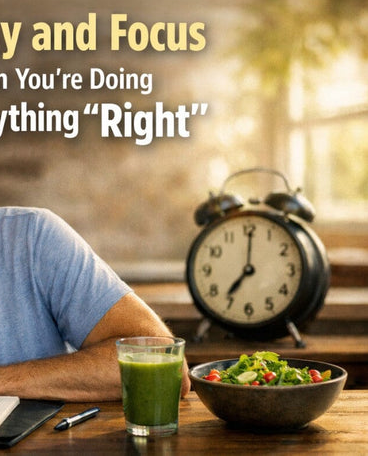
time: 7:01
